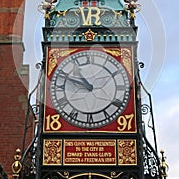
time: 10:48
